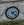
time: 2:22
